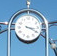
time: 3:19
